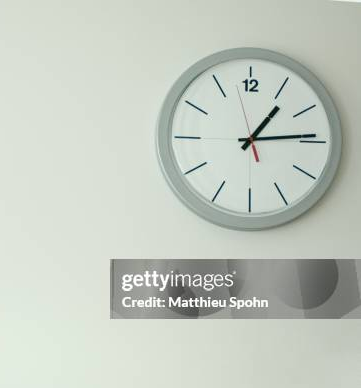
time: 1:14
